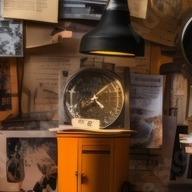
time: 4:07
